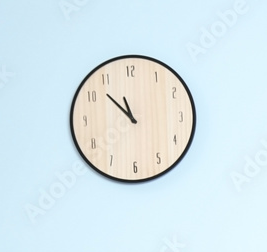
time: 10:52
